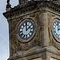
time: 2:00
